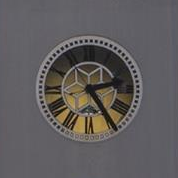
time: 2:24
